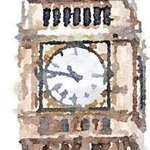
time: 10:47
